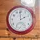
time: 1:59
